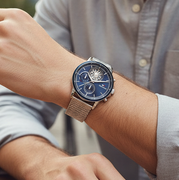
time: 11:15
